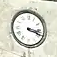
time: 3:18
